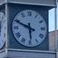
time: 5:48
